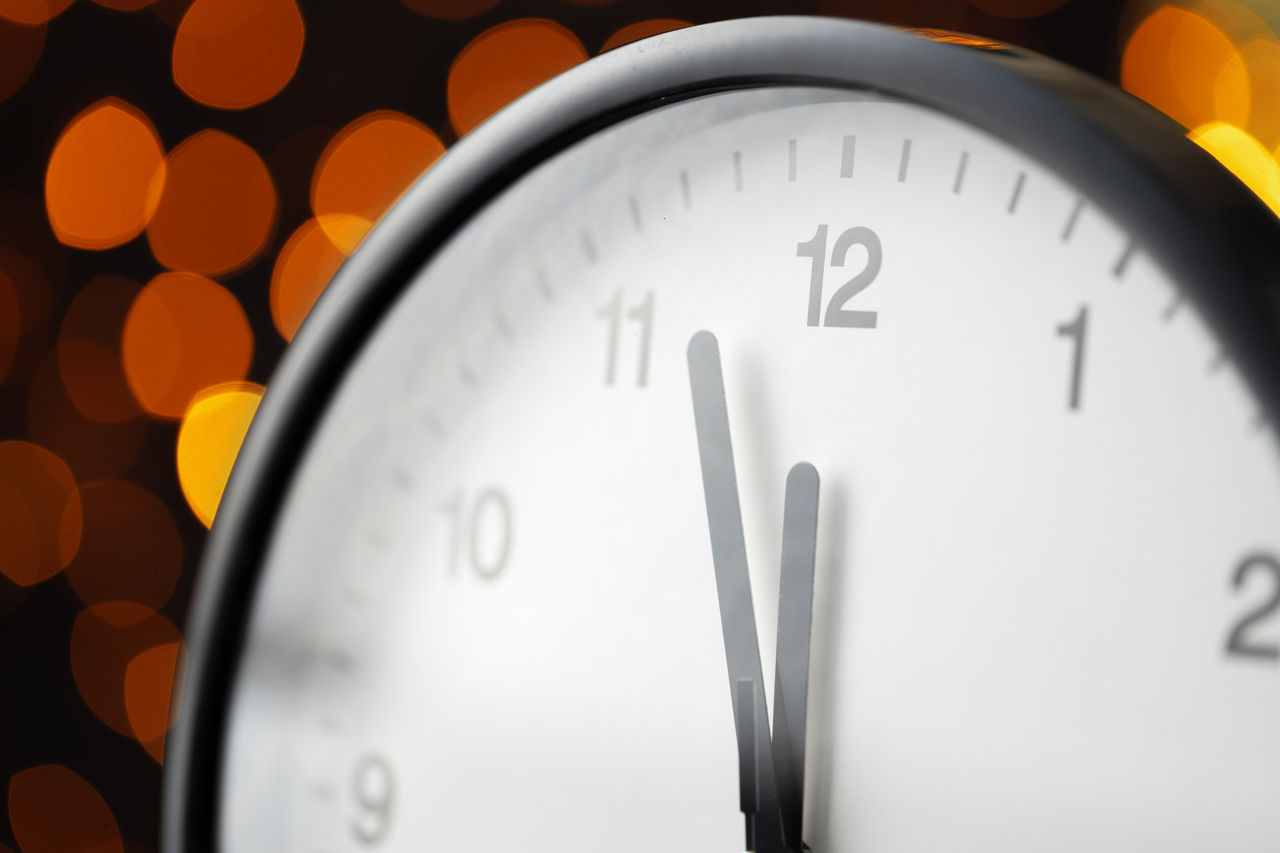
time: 11:57
